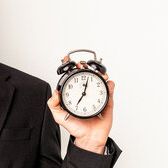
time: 7:03
